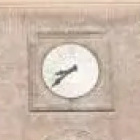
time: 8:38
